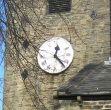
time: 12:23
